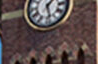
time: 1:28
